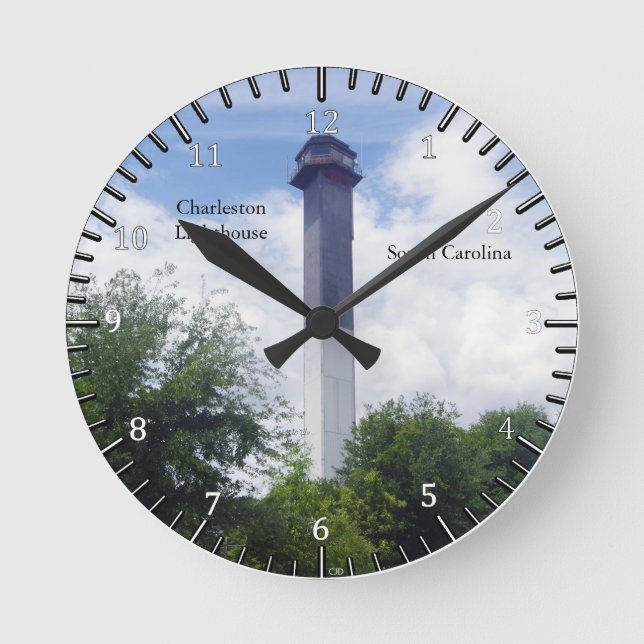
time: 10:09
